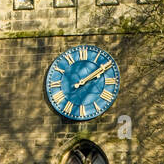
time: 2:09
